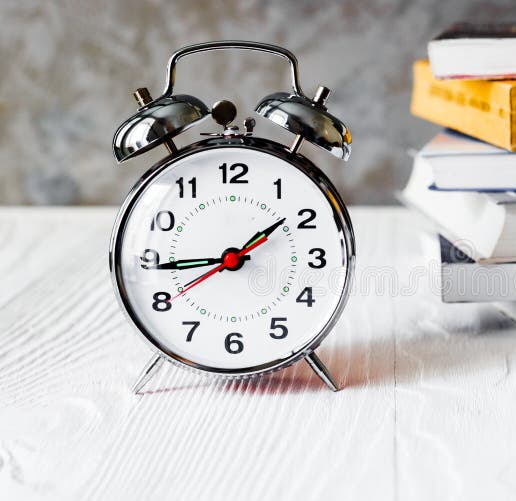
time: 1:44
